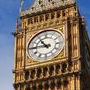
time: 10:45
